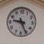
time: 9:25
